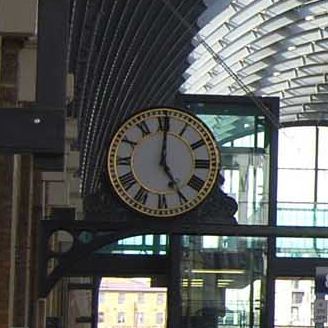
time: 5:00
